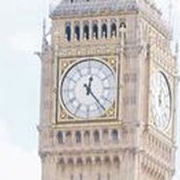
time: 12:23
